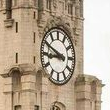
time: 8:49
